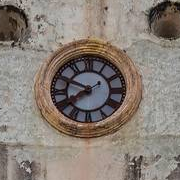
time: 7:48
